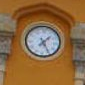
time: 1:24
